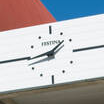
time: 1:43
